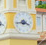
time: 3:43
